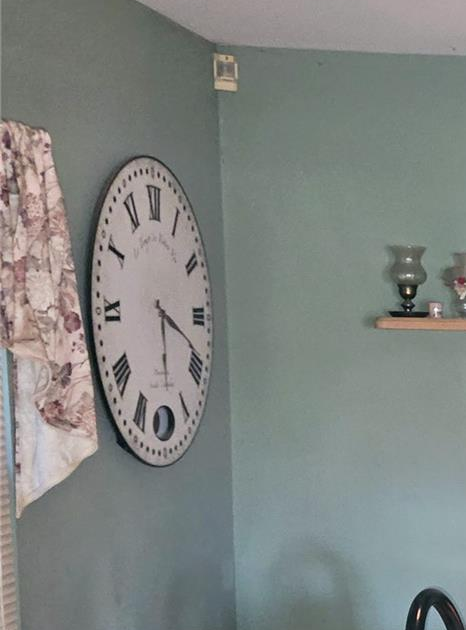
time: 5:18
